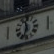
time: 11:34
